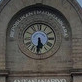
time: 5:31
